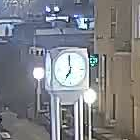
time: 6:59
